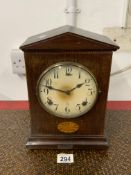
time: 1:47
